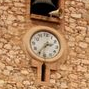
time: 2:36
